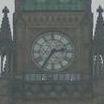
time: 2:36
